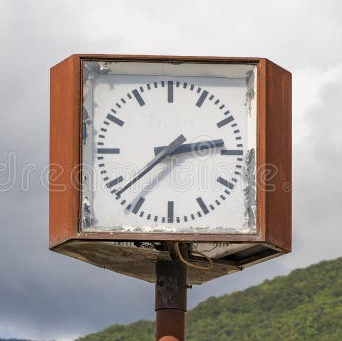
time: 2:38
